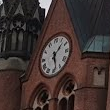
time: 1:28
